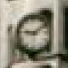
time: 9:10
